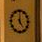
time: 5:00
